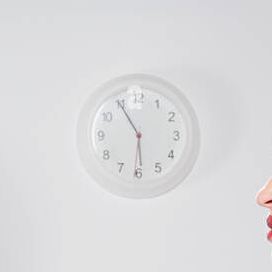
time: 5:54
